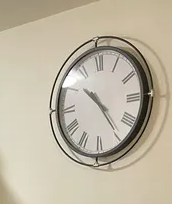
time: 10:24
